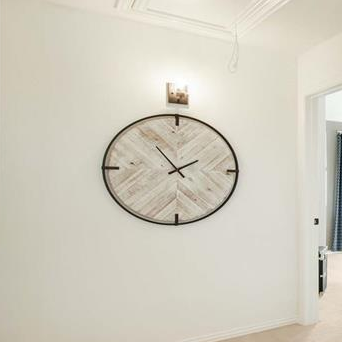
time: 1:54
